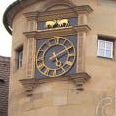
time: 5:09
